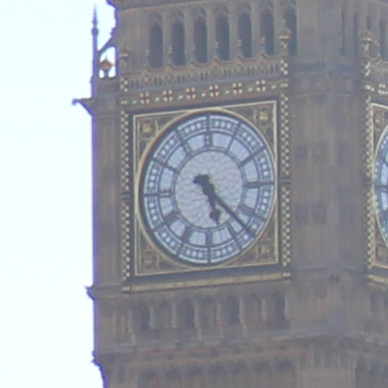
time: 5:22
